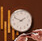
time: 1:48
